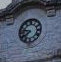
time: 7:47
